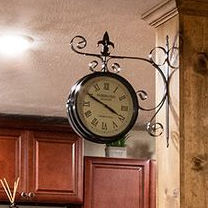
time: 3:49
